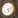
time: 5:12
